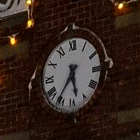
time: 5:35
